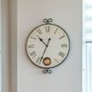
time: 10:33
